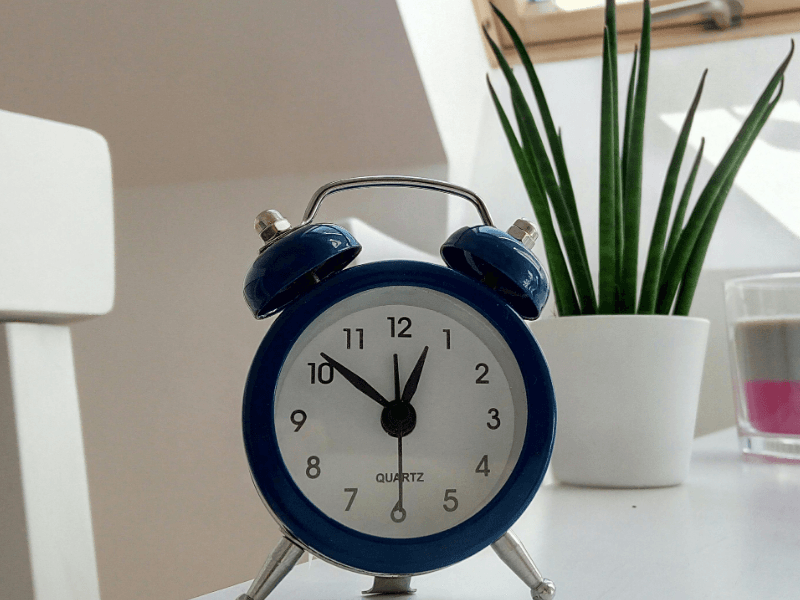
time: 12:51
